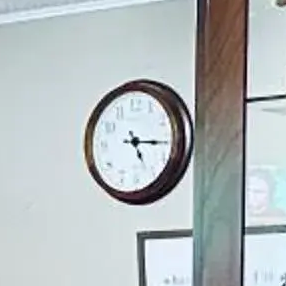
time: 5:15
